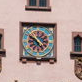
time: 4:49
